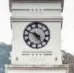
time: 4:48
